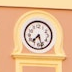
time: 7:27
